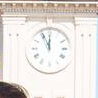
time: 11:55
